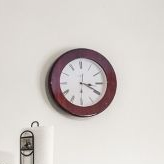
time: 3:19
